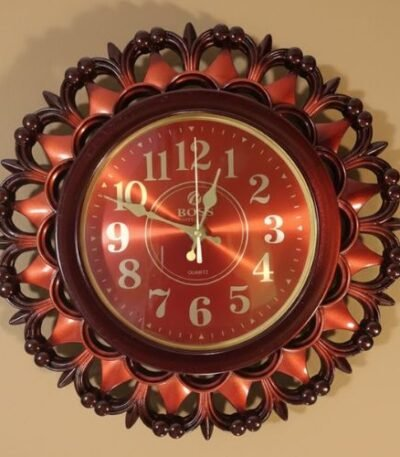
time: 12:14
